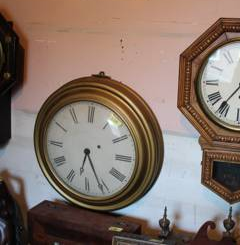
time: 6:25
